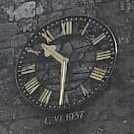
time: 10:31
